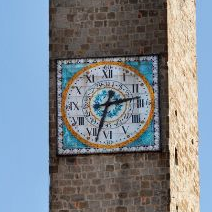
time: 2:33
